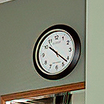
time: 10:21
